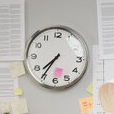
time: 7:35
